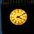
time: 4:10
